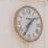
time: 1:34
